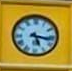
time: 5:16
